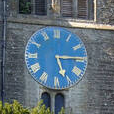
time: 5:14
